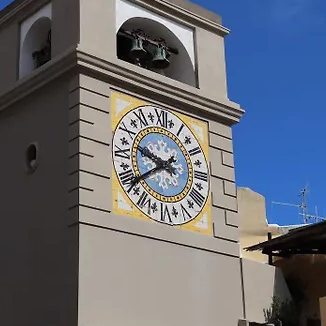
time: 9:39
